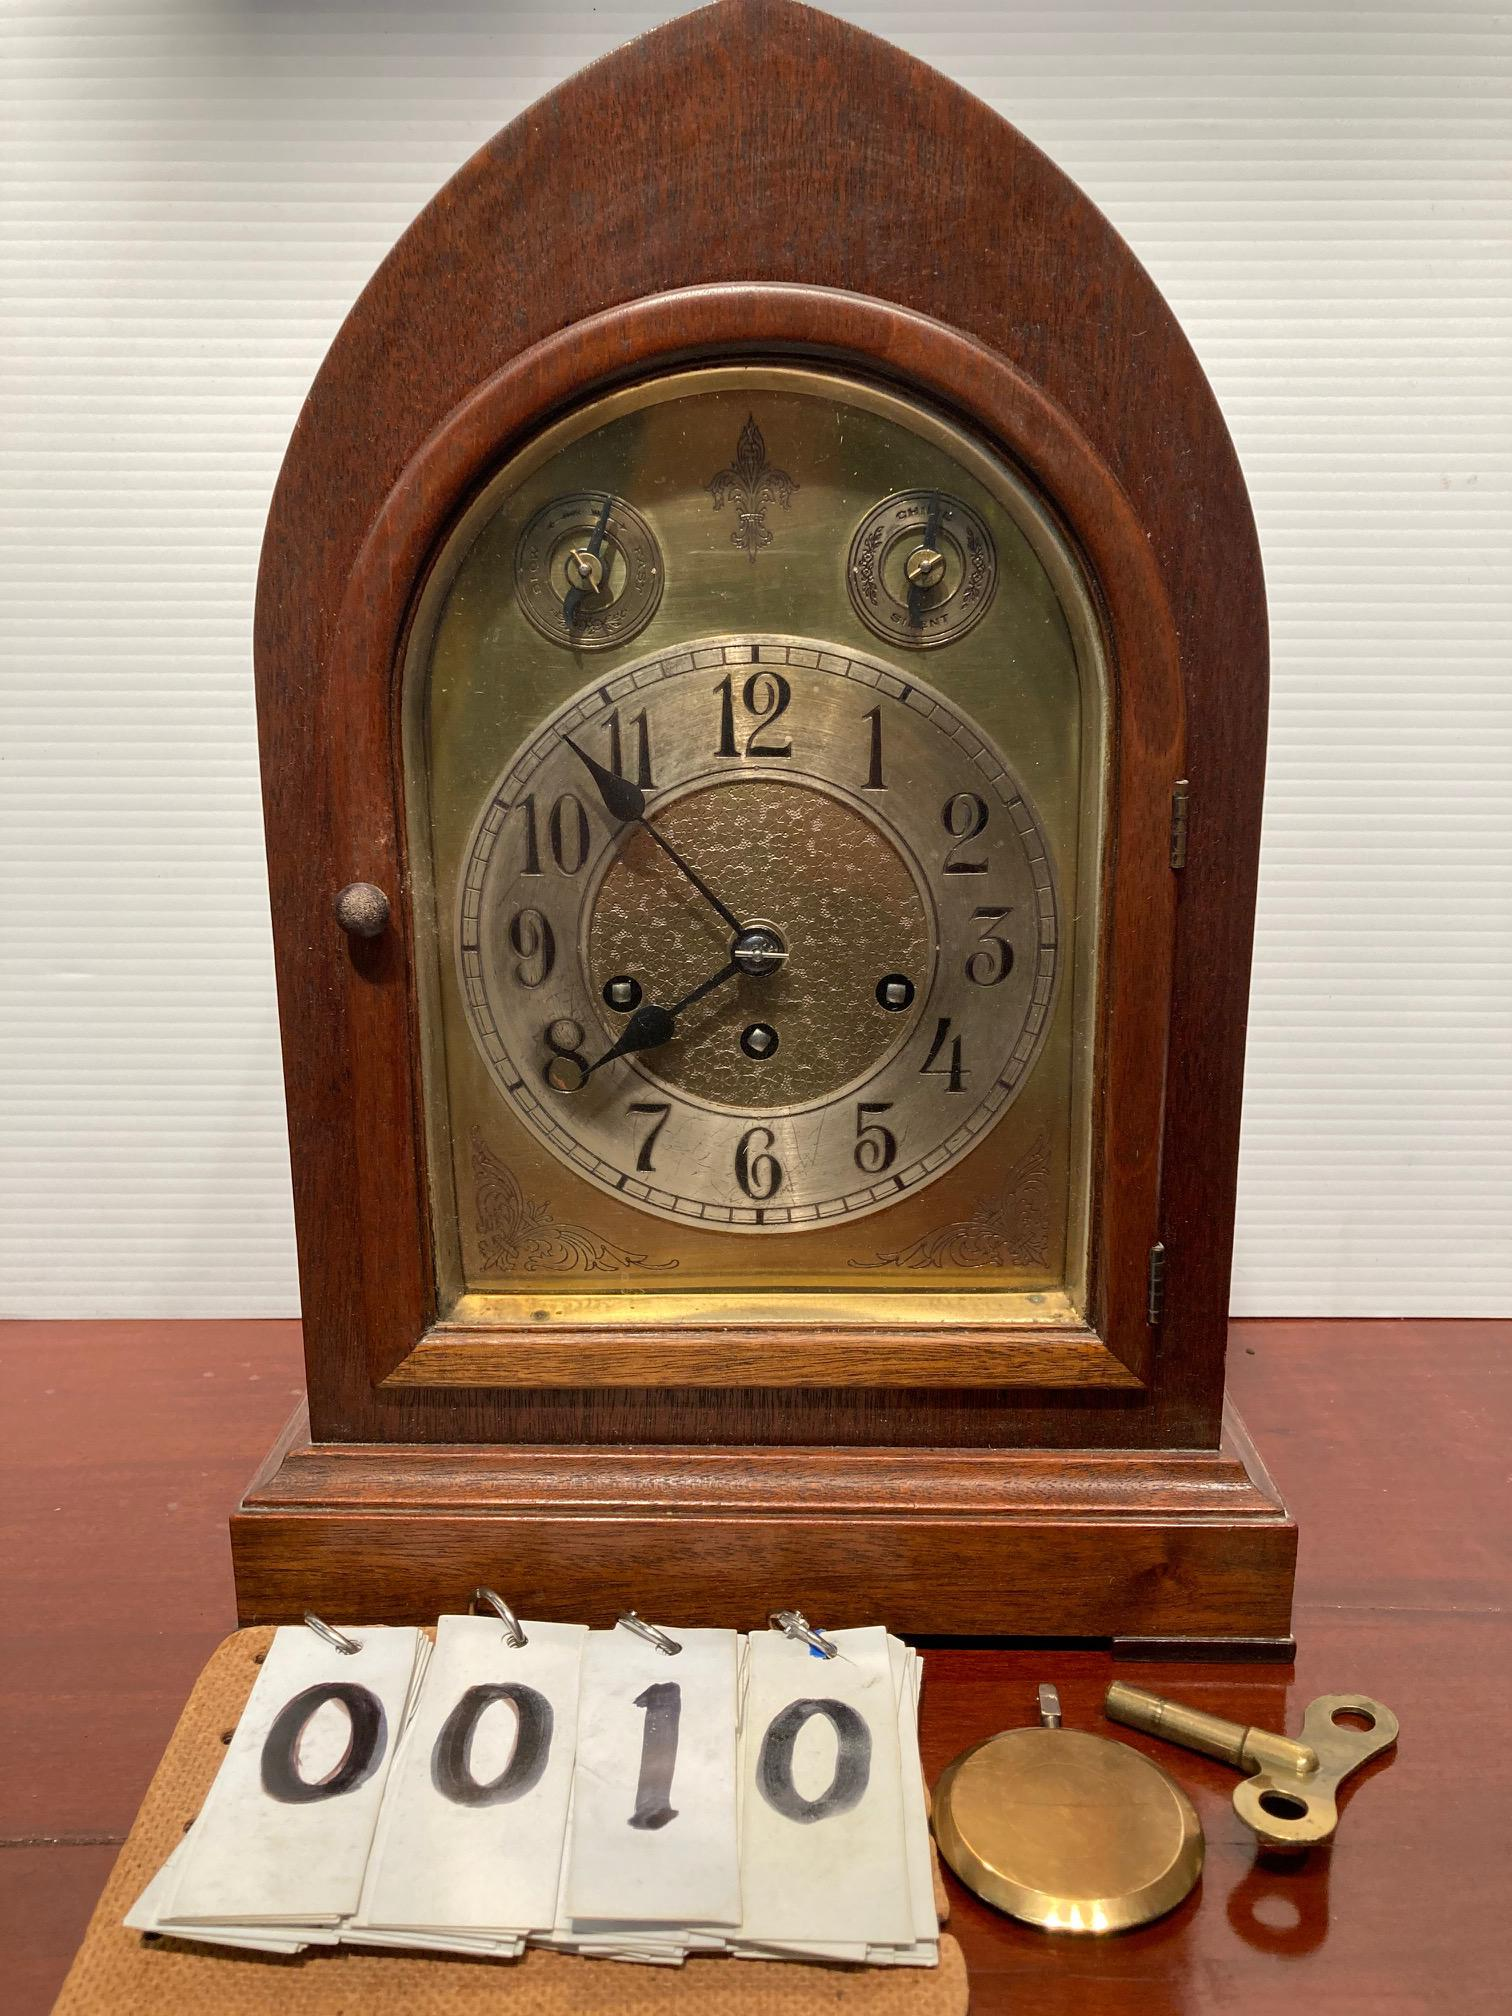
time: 7:52
